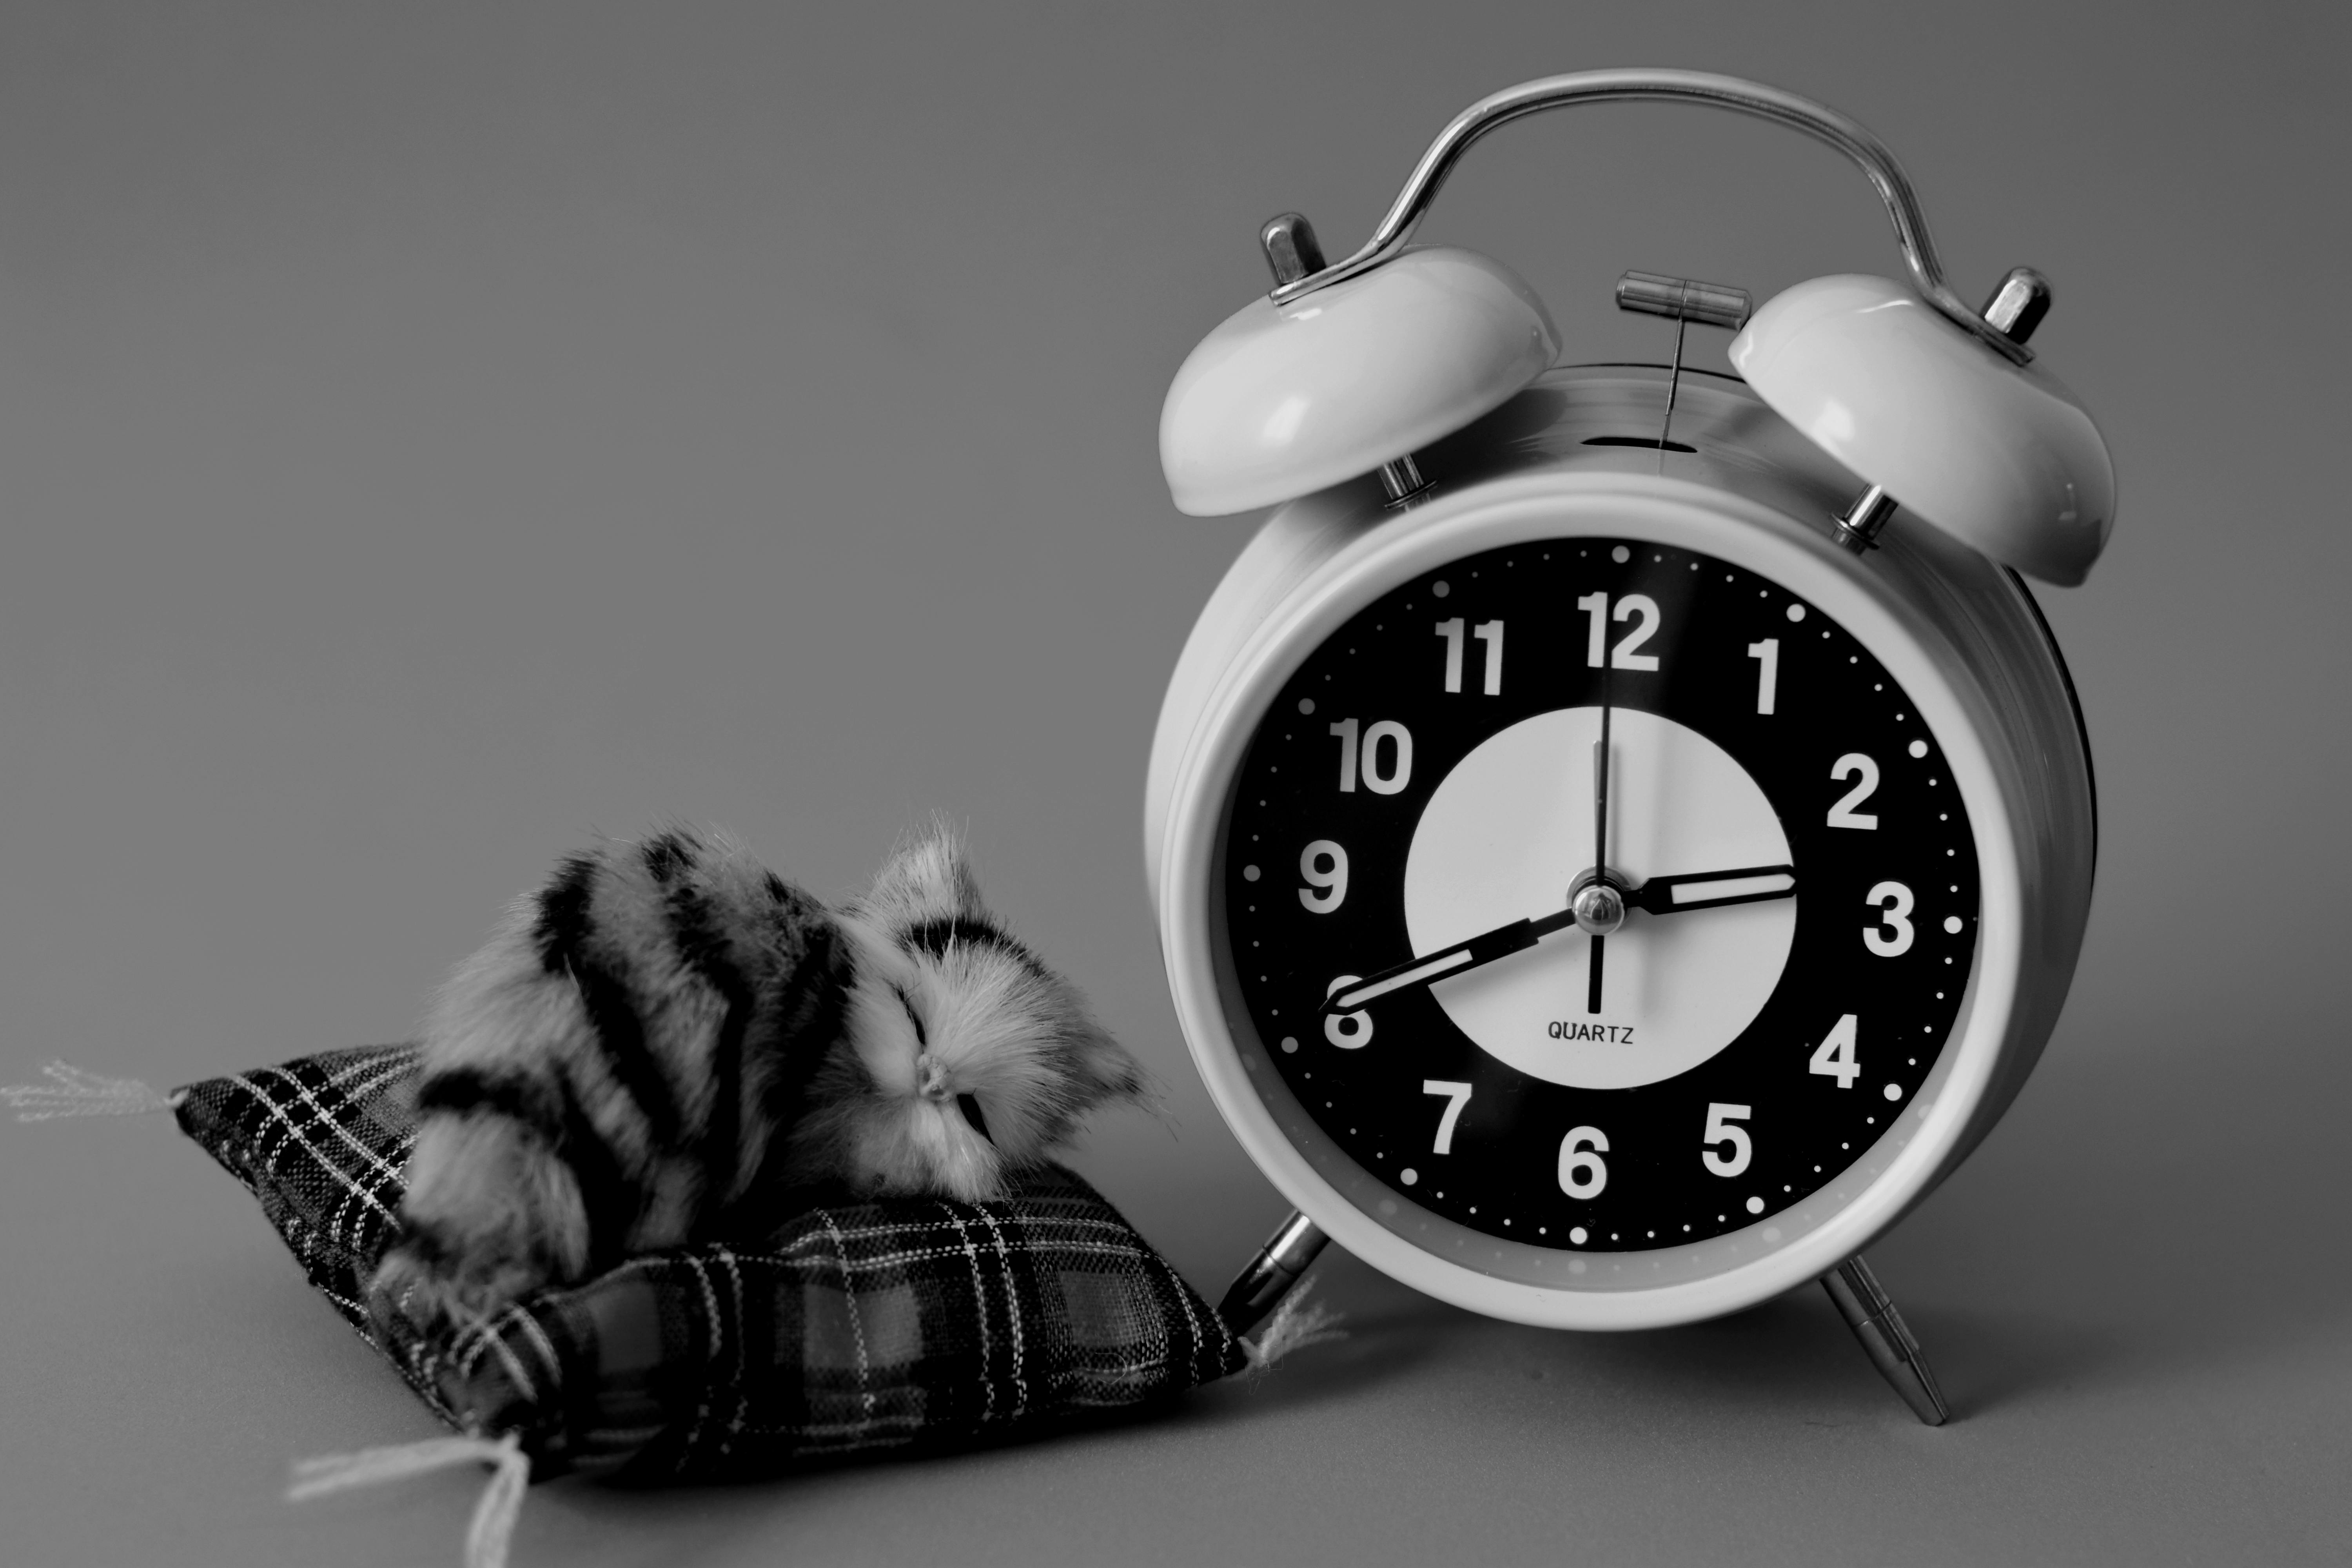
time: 2:40
